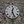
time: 12:26
